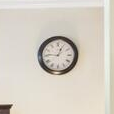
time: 12:46
